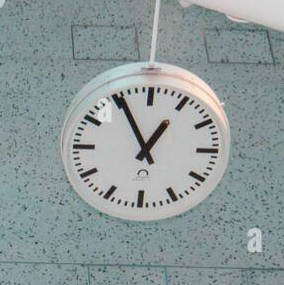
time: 12:55
